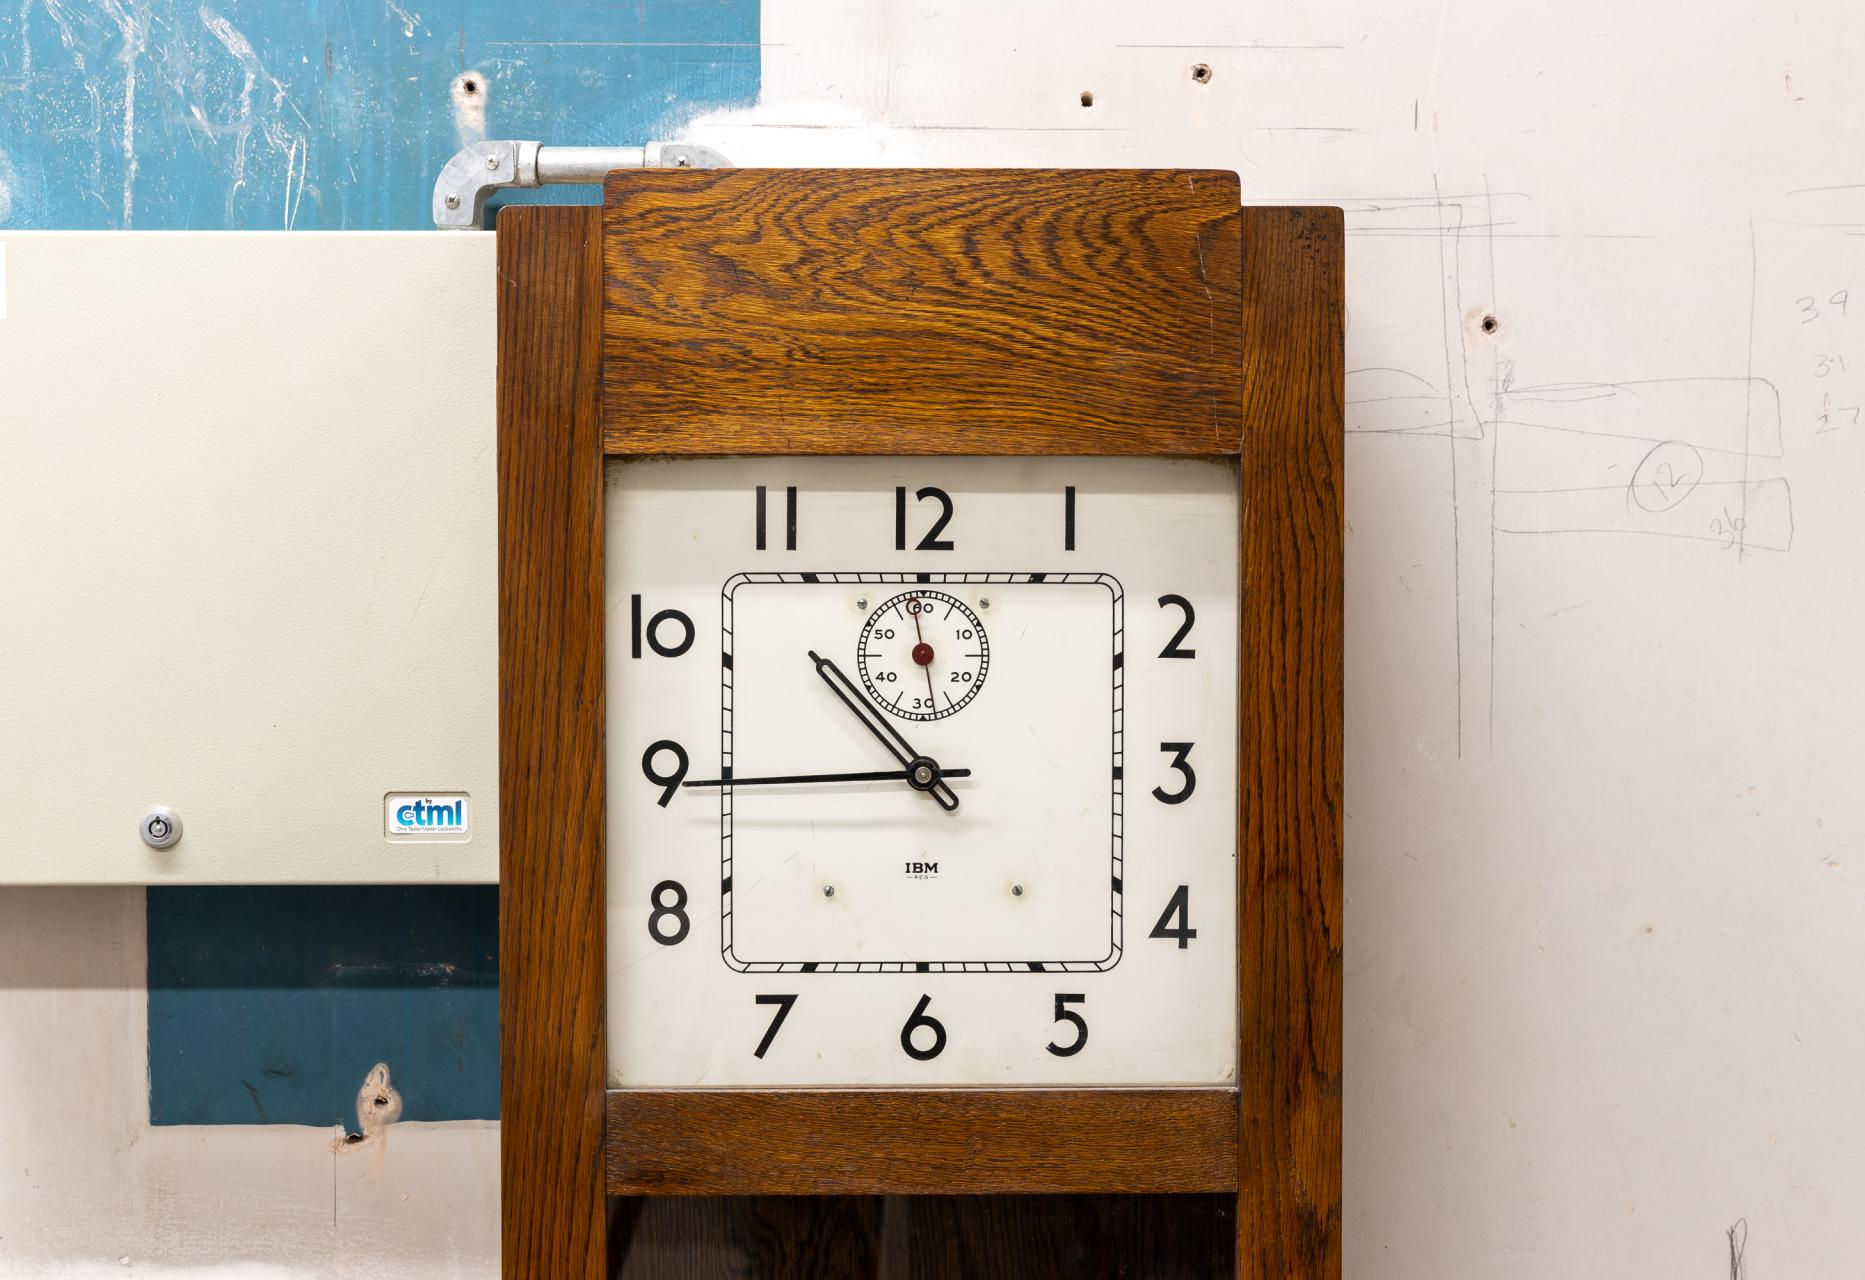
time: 10:44
